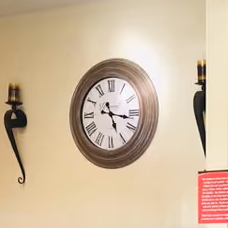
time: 5:17
